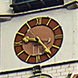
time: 9:23
